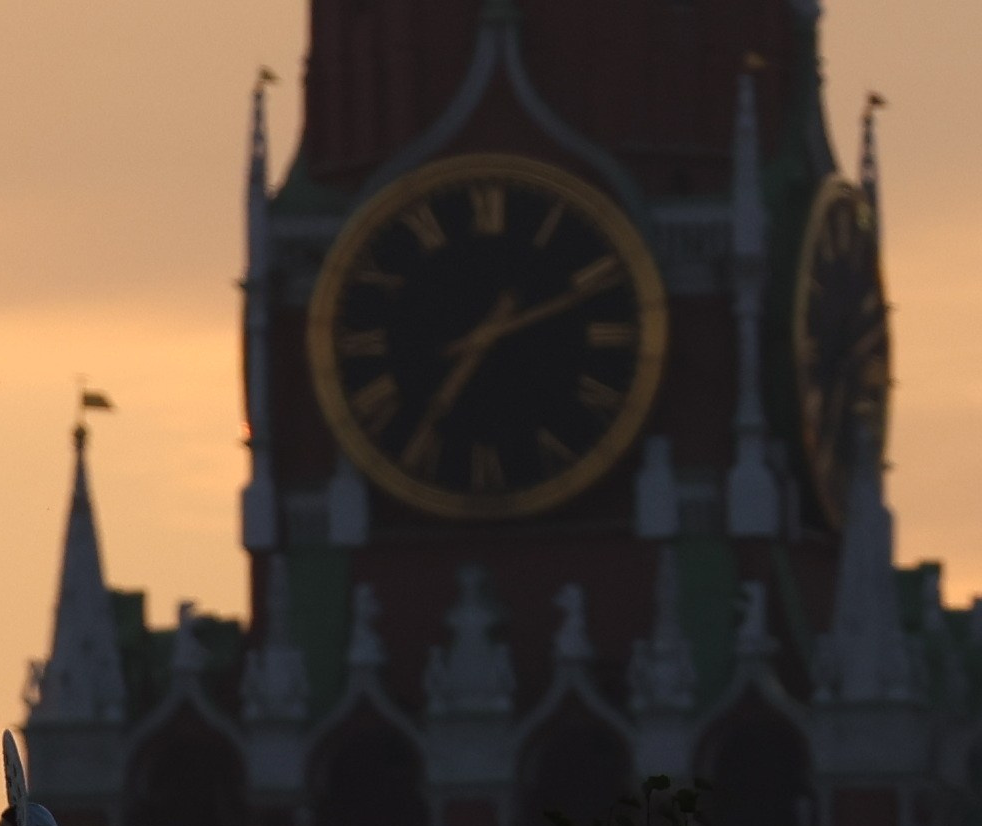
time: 7:11
